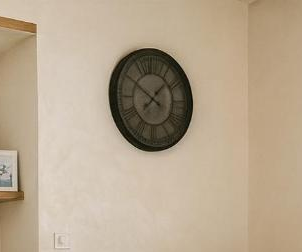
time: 10:07
